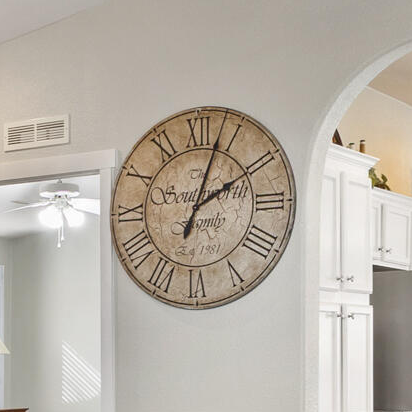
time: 2:03
